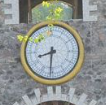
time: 8:31
